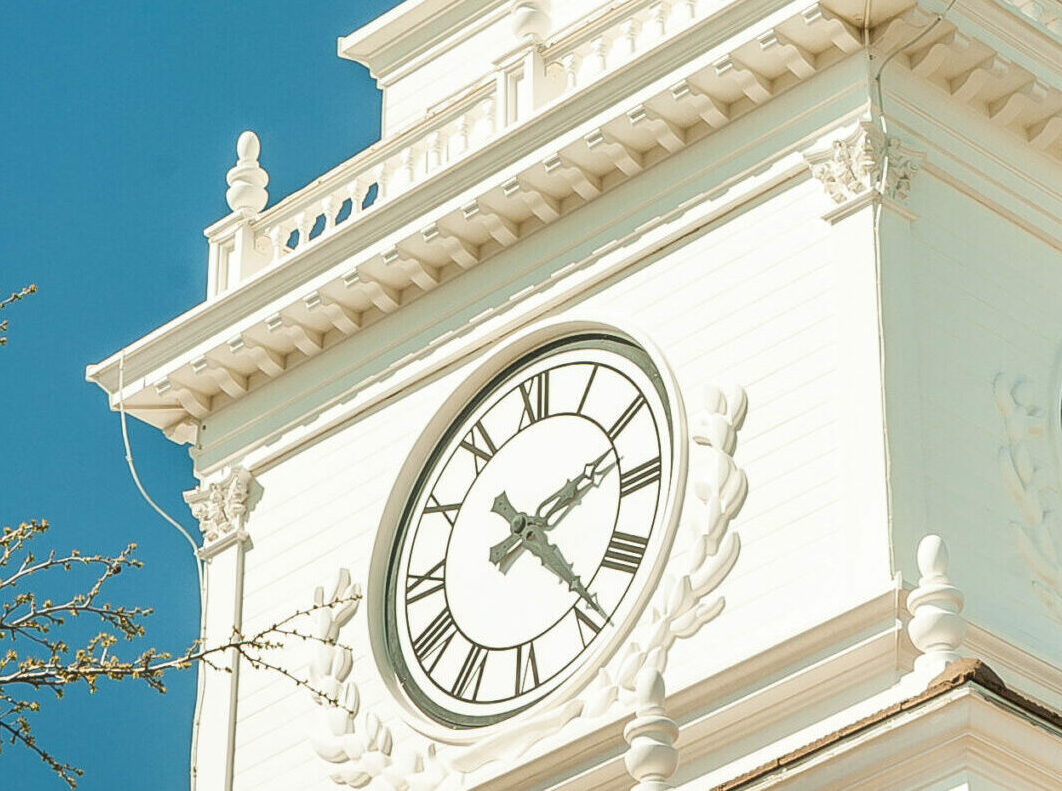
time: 2:23
